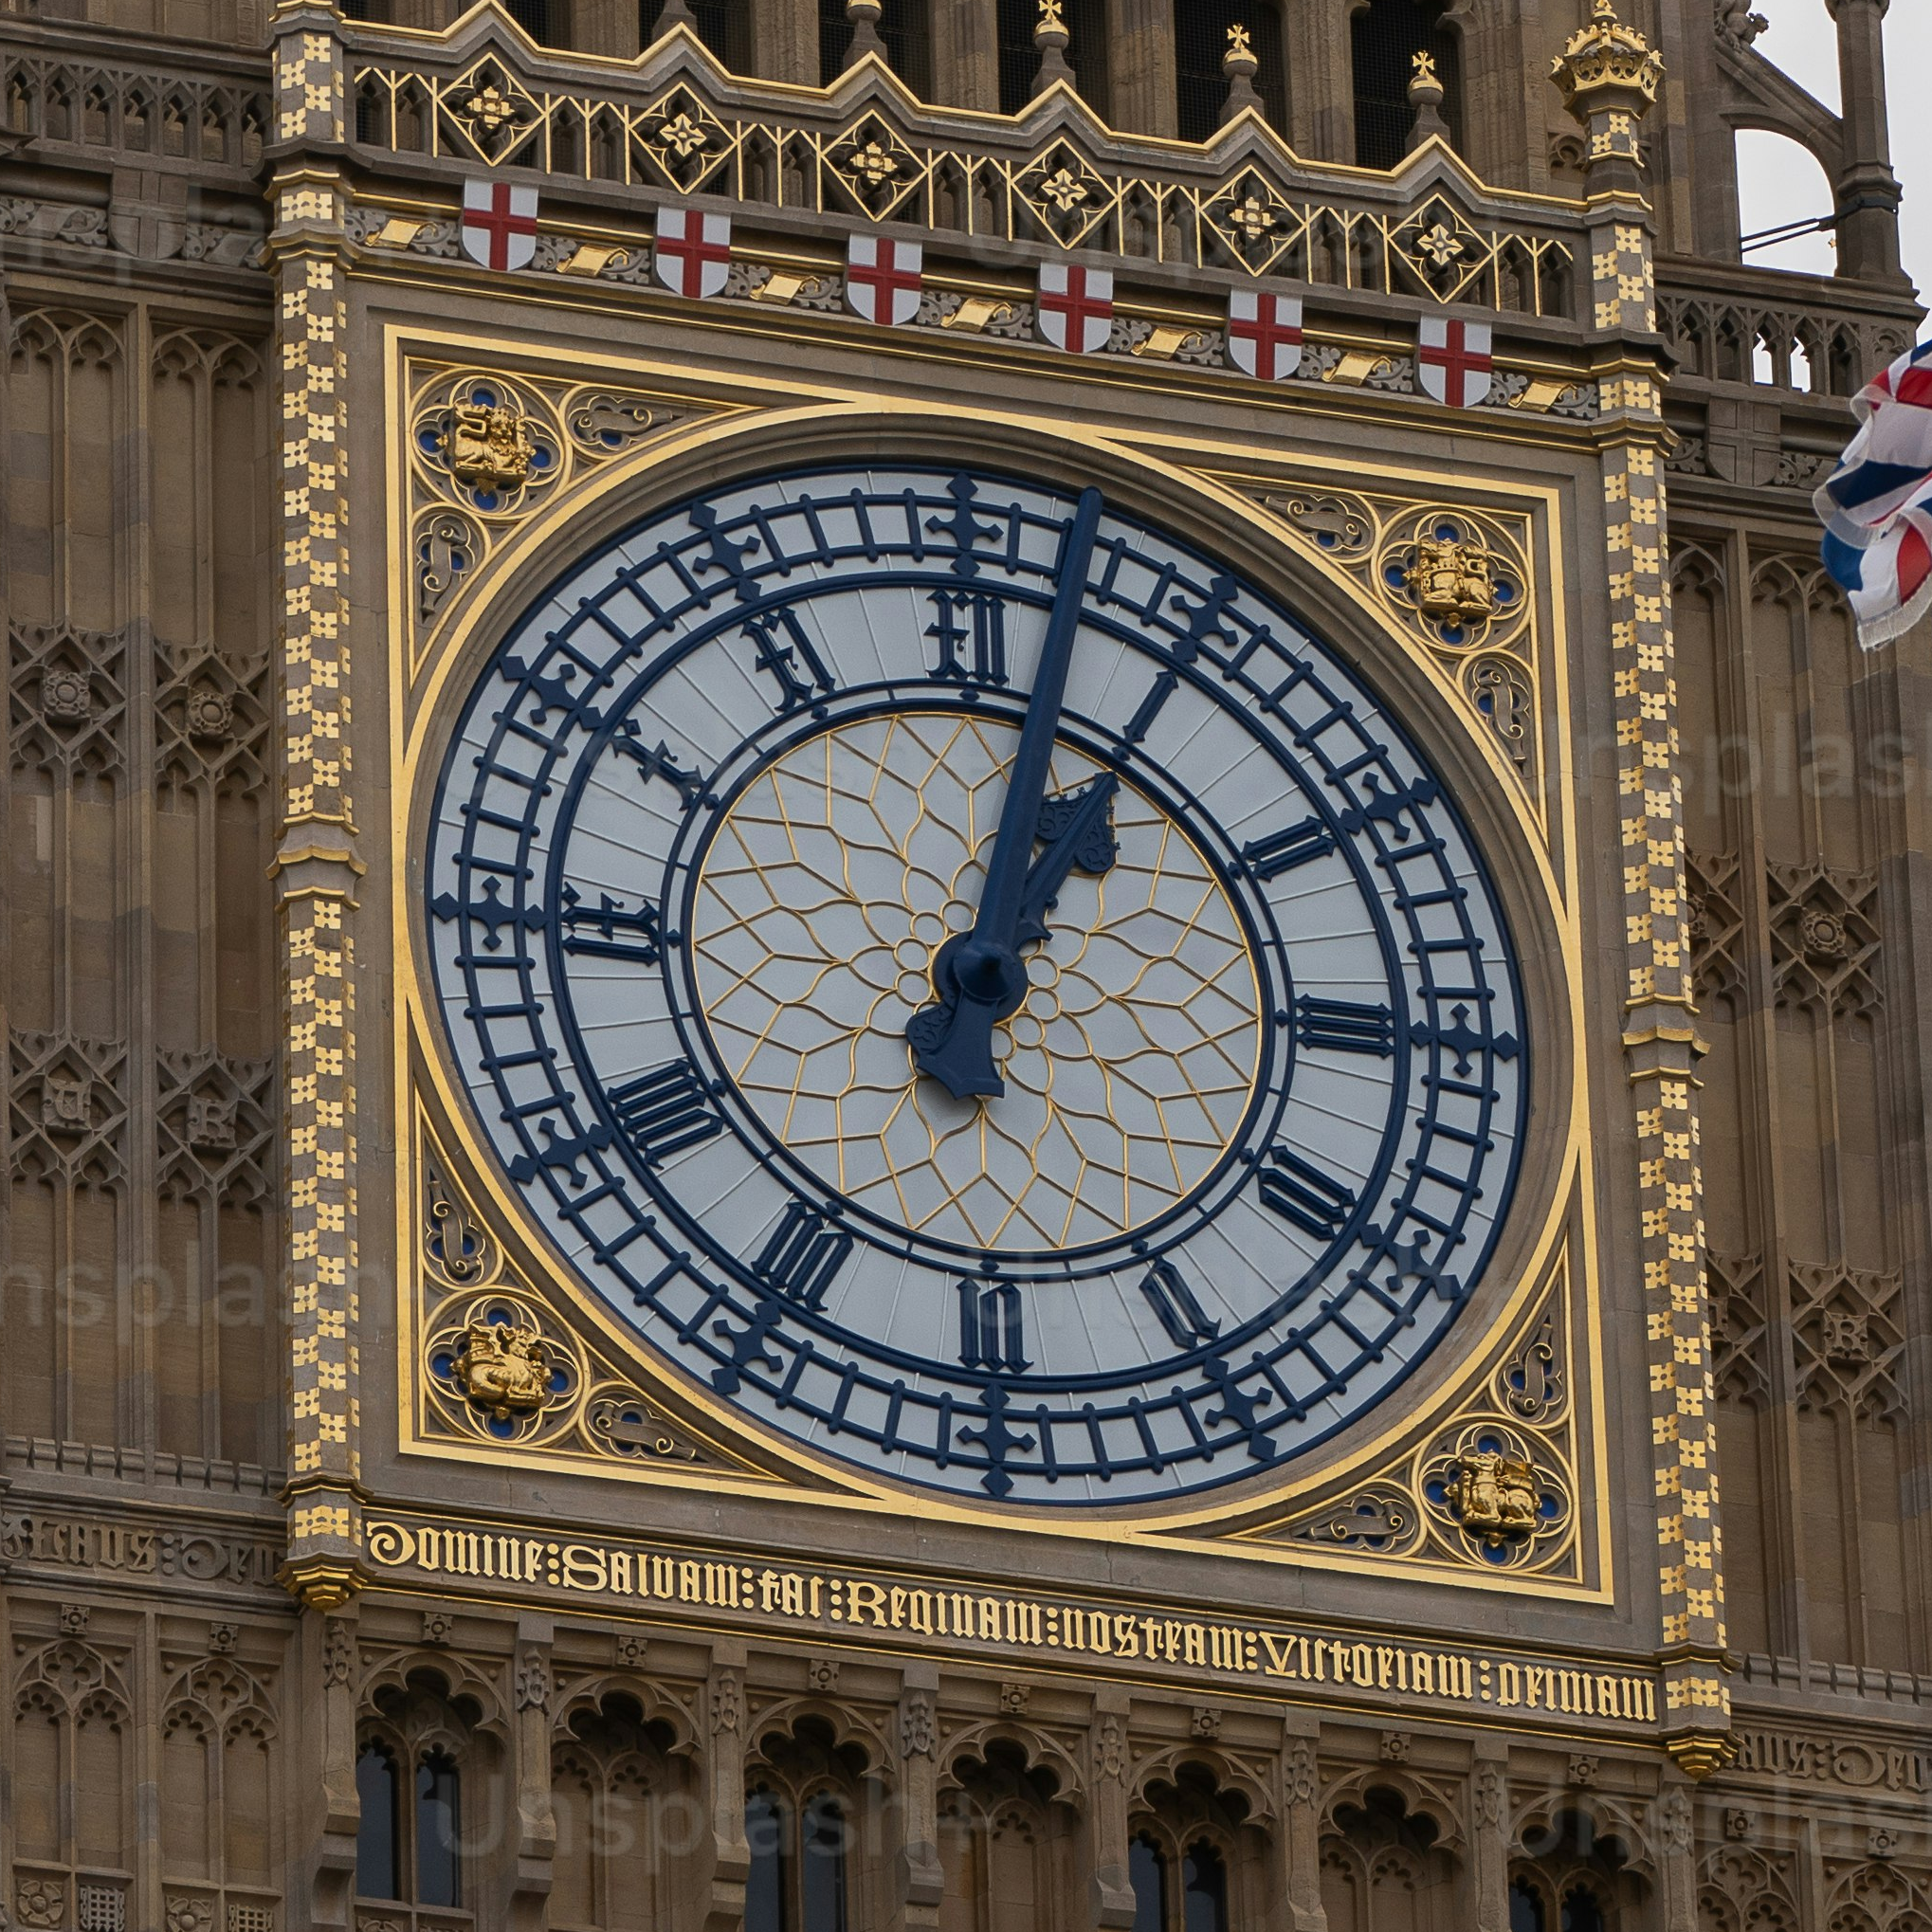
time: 1:02
